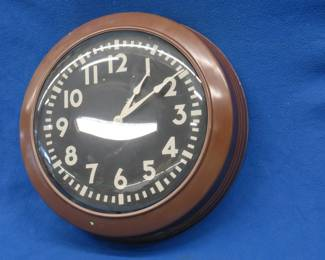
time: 1:09
